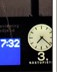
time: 7:21
